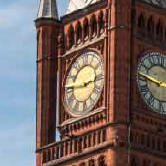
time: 2:45
